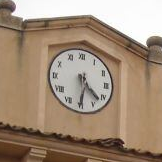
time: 4:30
